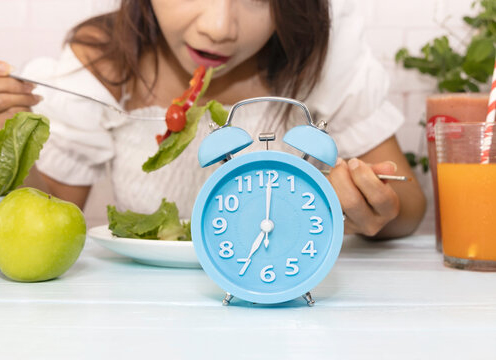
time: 7:00
